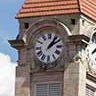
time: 1:09
